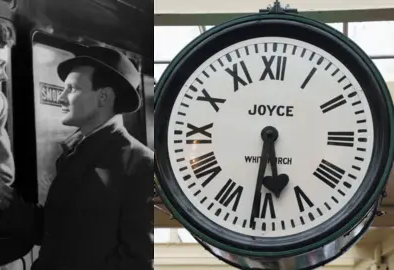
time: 5:31
